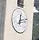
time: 12:12
